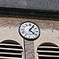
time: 4:04
